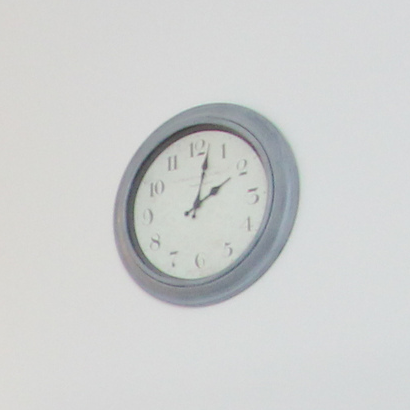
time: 2:02
